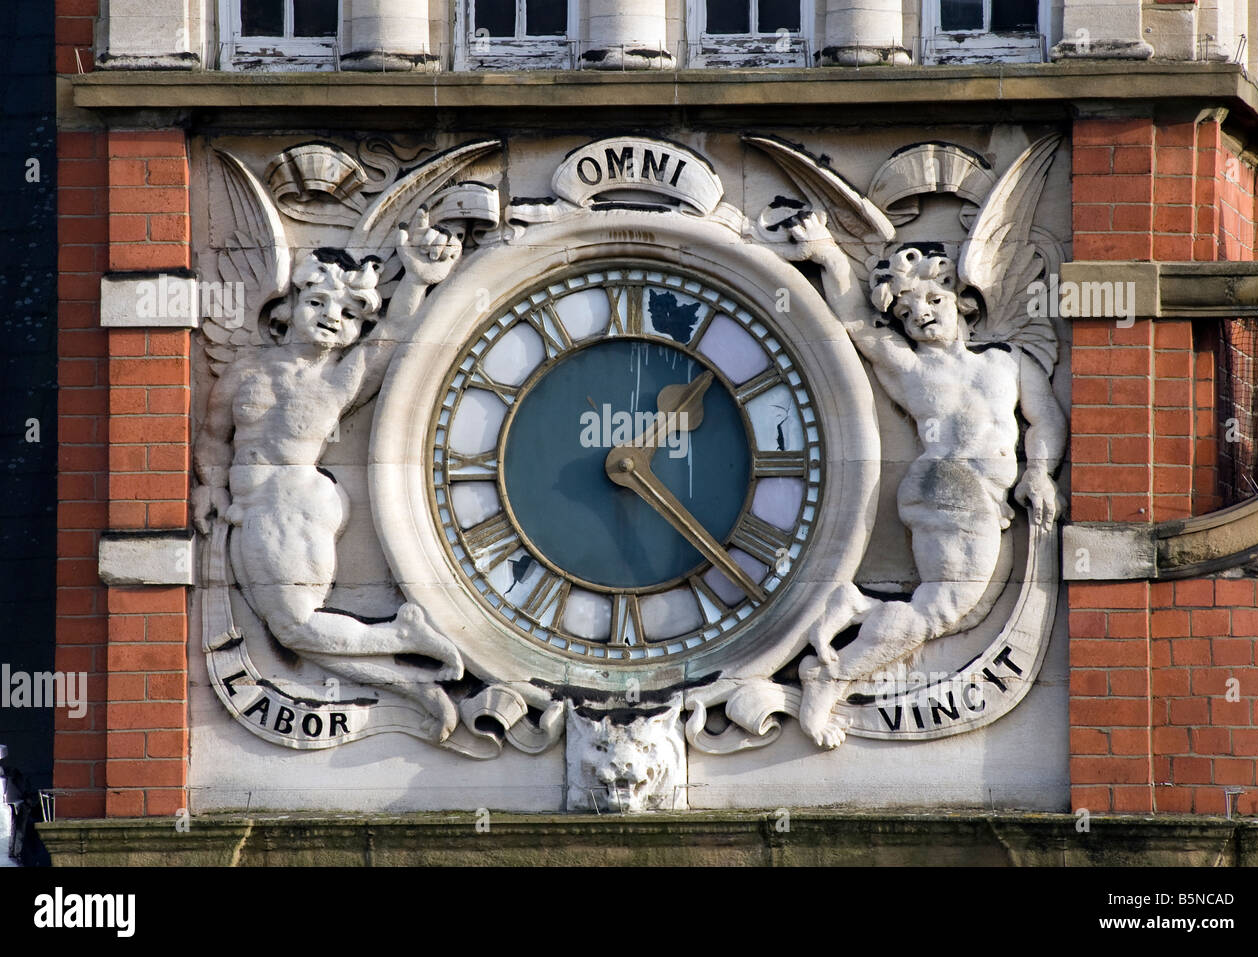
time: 1:22
